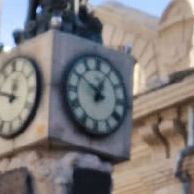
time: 12:50
